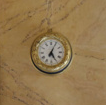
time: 5:04
